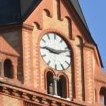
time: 9:12
